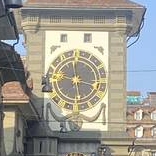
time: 3:28
